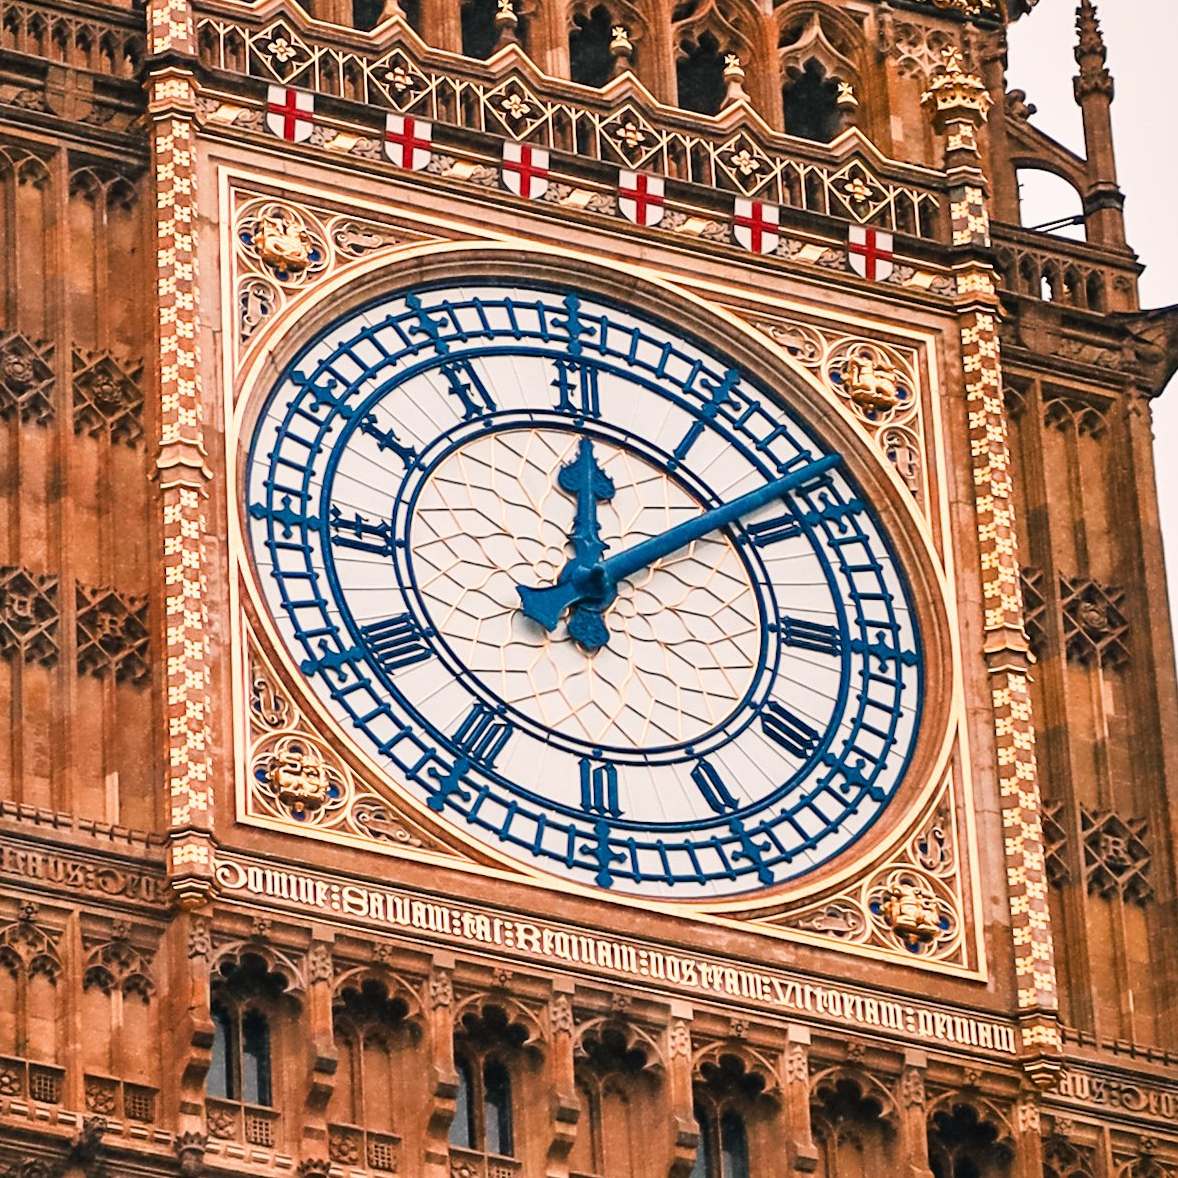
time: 12:08
